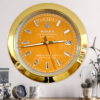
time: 2:43
